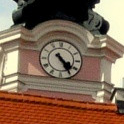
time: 4:24
